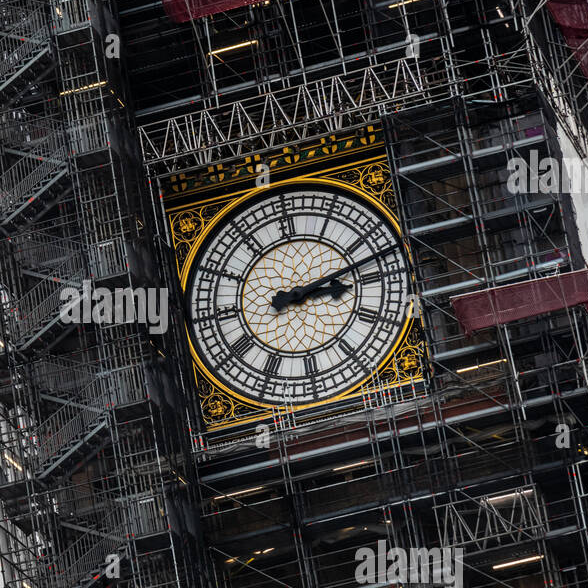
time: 3:12
